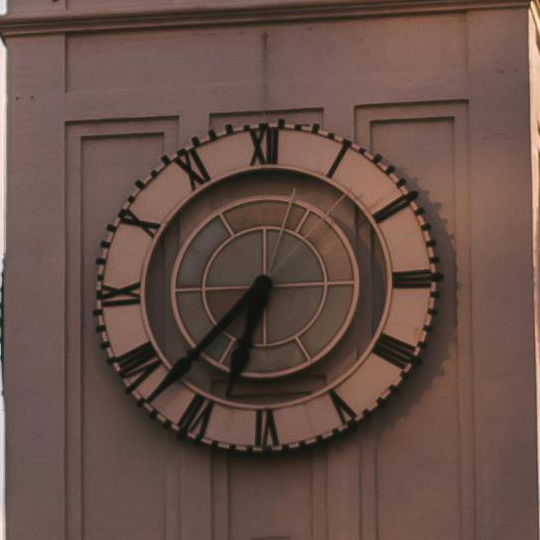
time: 6:37
